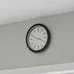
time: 3:48
